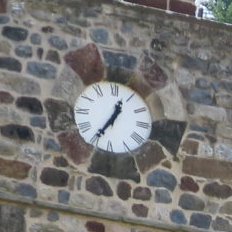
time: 12:34
